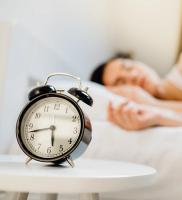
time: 5:42
